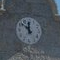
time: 11:52
